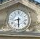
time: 8:30
